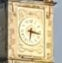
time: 6:16
